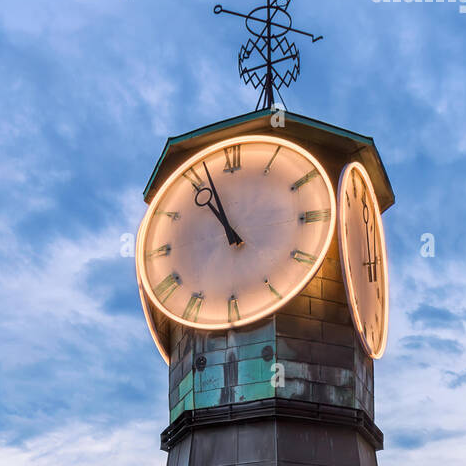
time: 10:56
